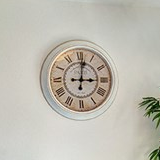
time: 3:01
